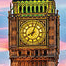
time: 8:03
